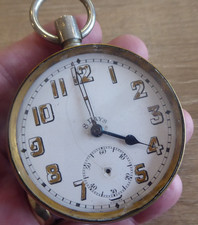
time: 3:59
